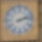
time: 2:12
